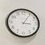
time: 3:05
